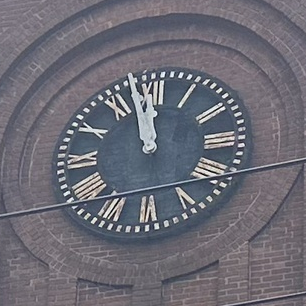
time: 11:57
